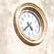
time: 4:37
